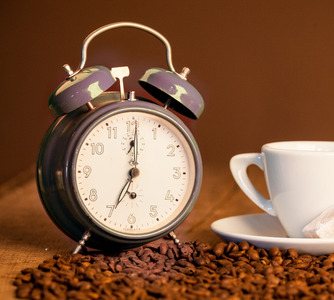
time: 7:00
